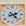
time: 2:23
